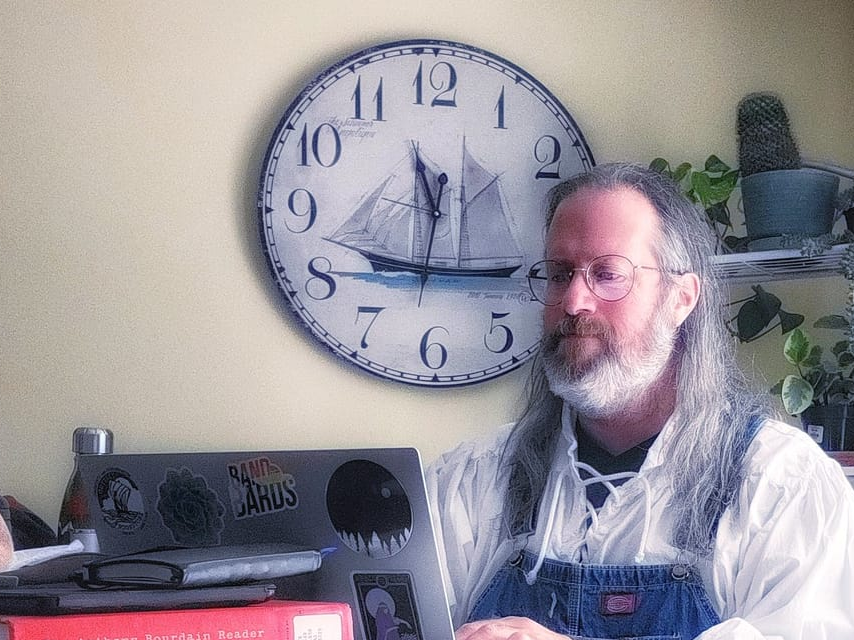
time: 11:31
